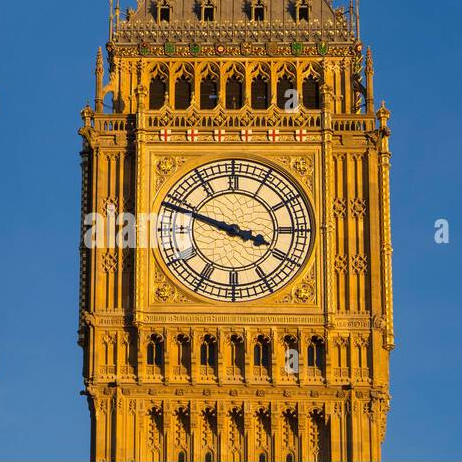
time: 3:48
